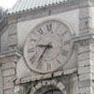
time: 9:36
